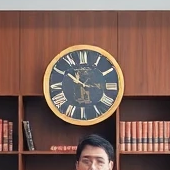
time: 10:15
